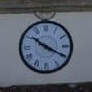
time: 10:19
